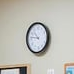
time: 10:46
